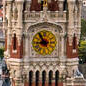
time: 8:54
